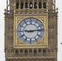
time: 9:13
